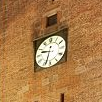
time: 9:33
